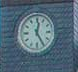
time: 12:24
